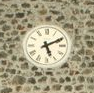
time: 5:10
